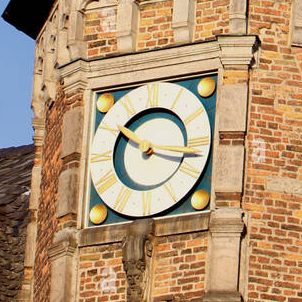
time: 10:17
